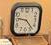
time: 9:22
